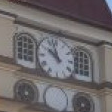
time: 9:57
